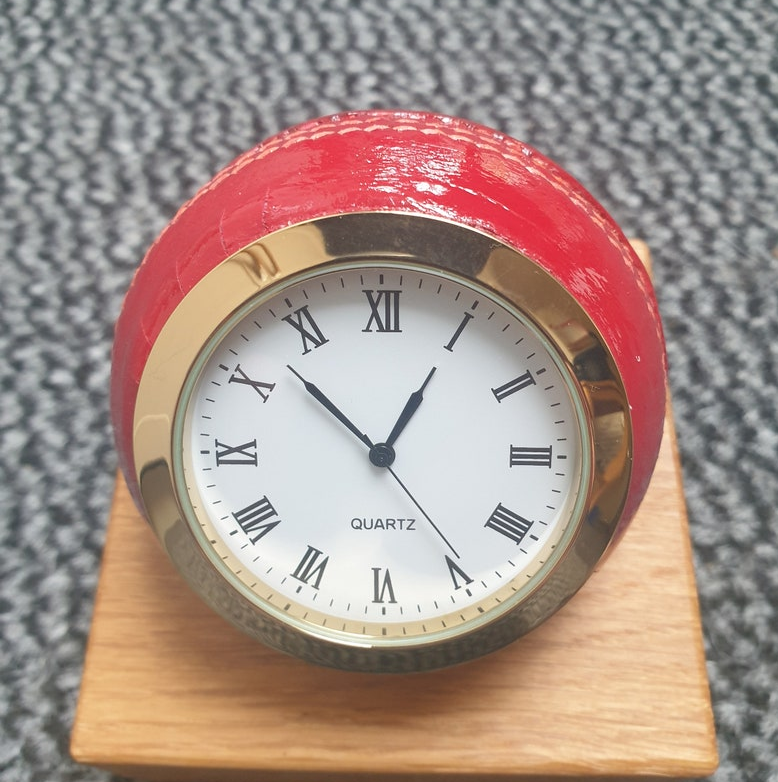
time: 12:52
